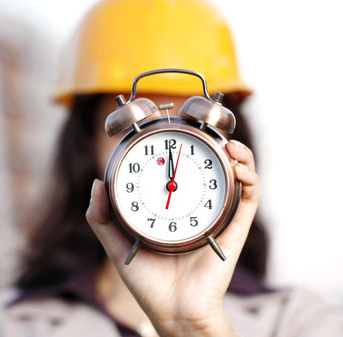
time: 12:00
